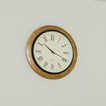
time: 10:19
